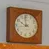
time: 9:58
